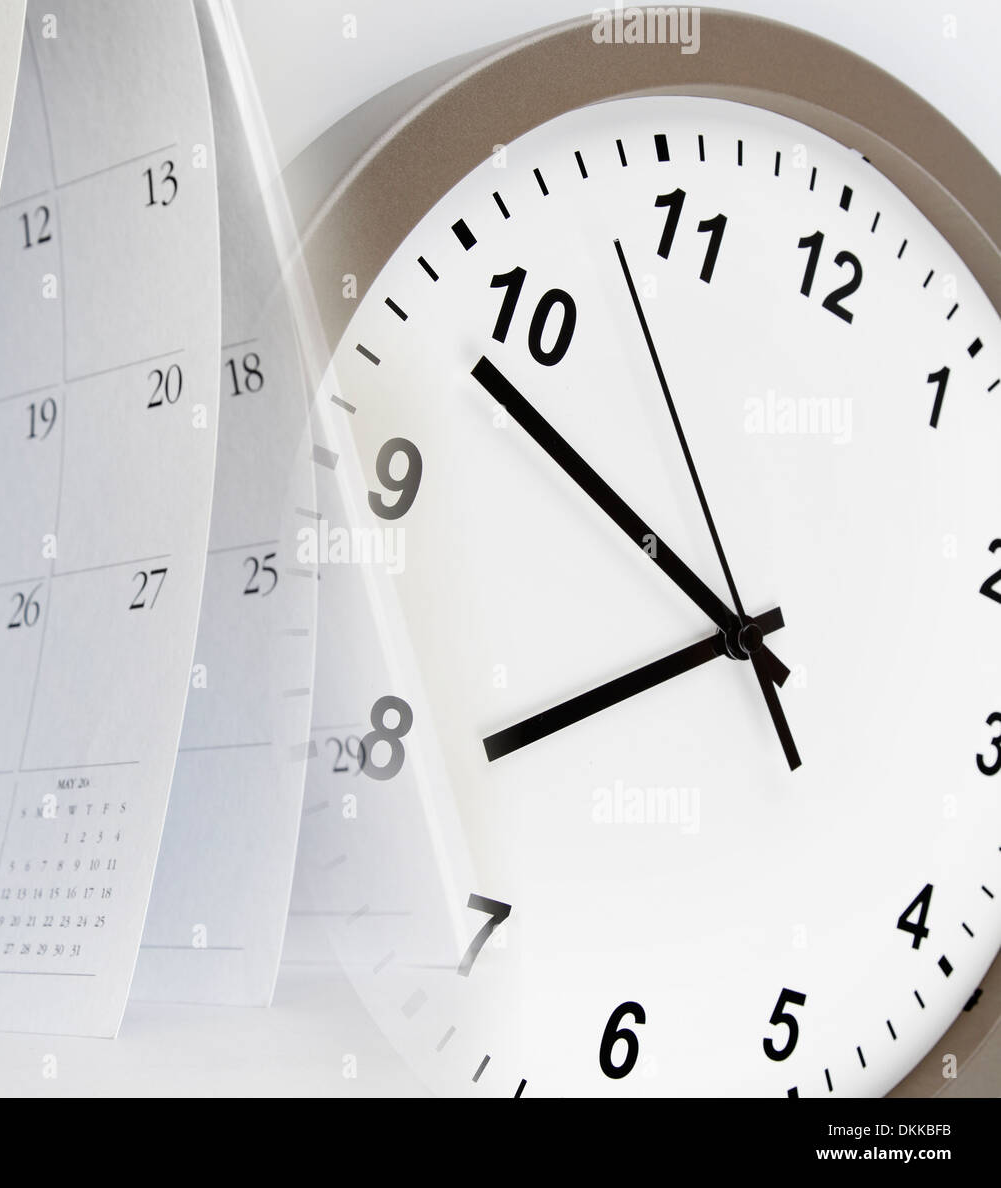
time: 7:48
